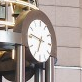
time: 6:46
